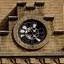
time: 4:42
